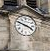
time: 3:48
